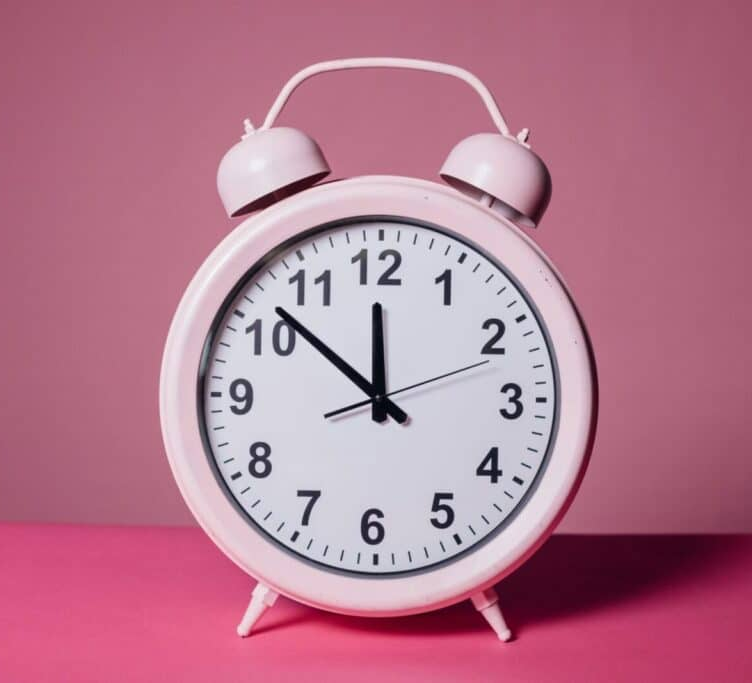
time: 11:51
